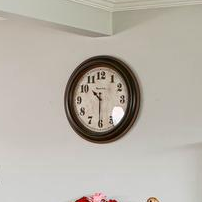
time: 10:30
